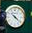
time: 4:21
